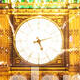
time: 5:12
